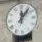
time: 12:07
